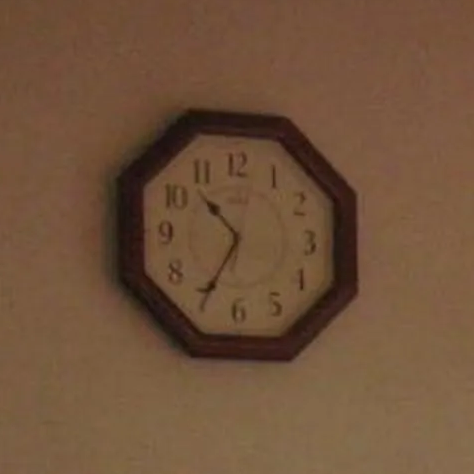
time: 10:34
